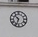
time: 10:33
